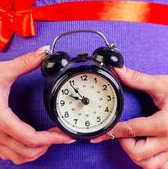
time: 9:54
